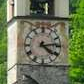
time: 4:13
